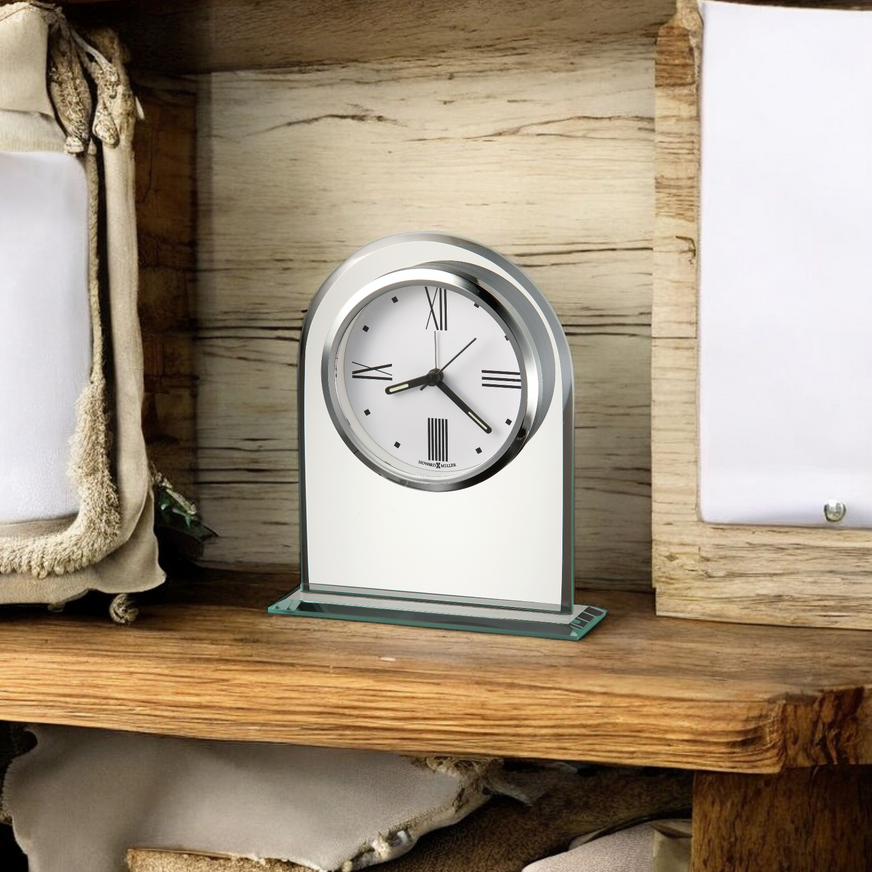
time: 8:21
